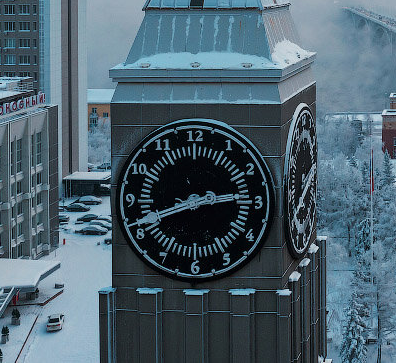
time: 2:41
